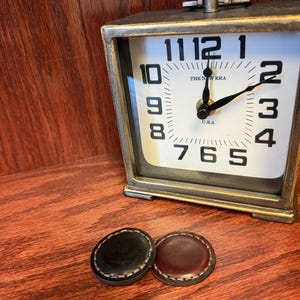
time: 12:10
